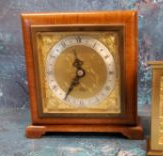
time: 11:35
